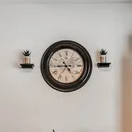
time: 4:44
